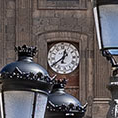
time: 12:40
